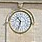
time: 10:32
